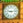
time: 9:13
